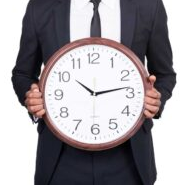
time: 10:13
